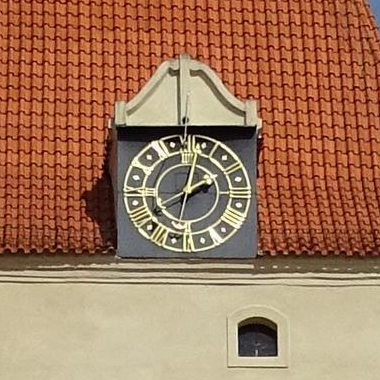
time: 2:02
